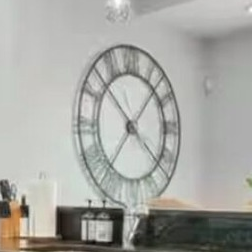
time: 7:07
